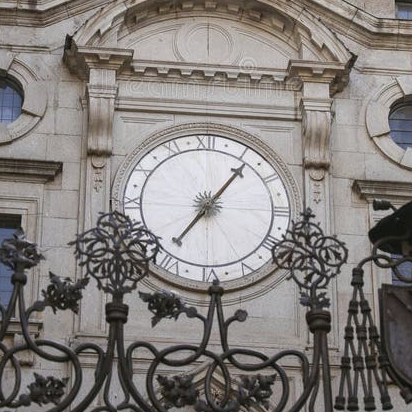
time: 7:06
